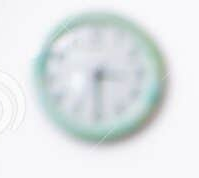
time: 6:15
